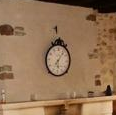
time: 6:06
